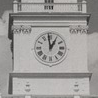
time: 12:58
